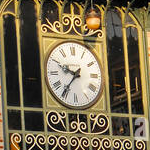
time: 9:36
